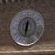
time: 6:31
